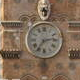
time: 2:36
